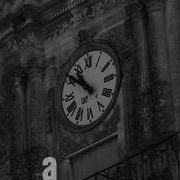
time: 10:51
